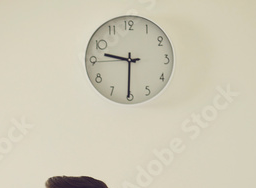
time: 9:30
